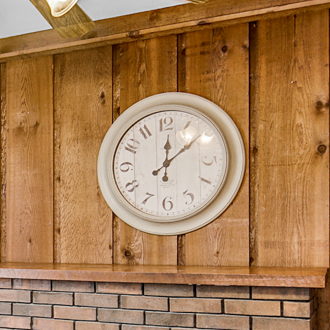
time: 12:08
